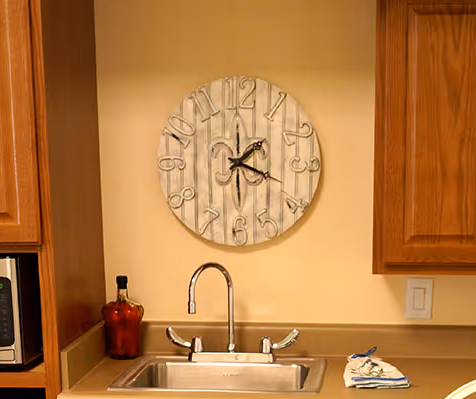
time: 1:18
